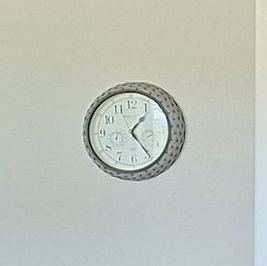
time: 1:24
